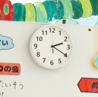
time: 2:19
